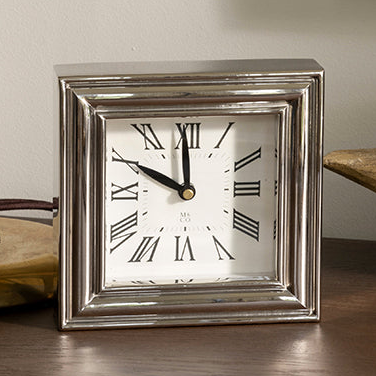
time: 9:59
